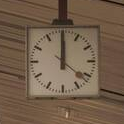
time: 11:59
